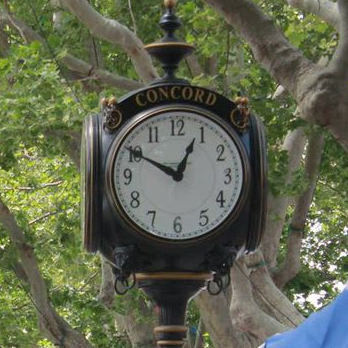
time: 12:49
